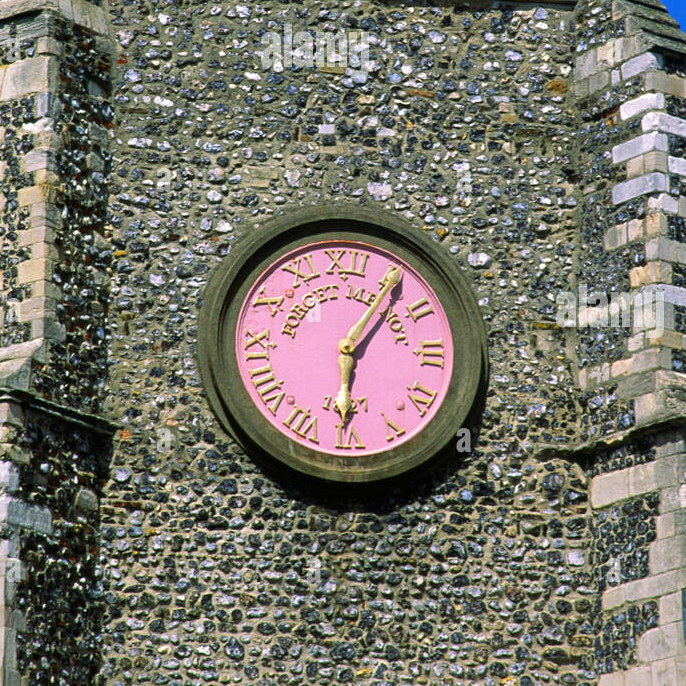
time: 6:06
